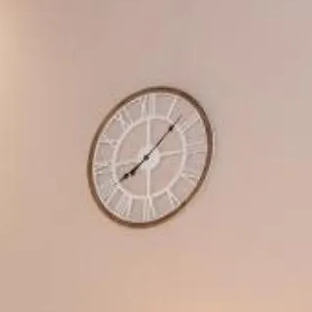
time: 8:07
